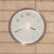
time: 3:40
